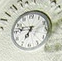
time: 6:46
